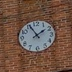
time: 1:55
